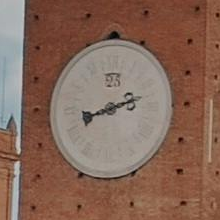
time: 8:12
